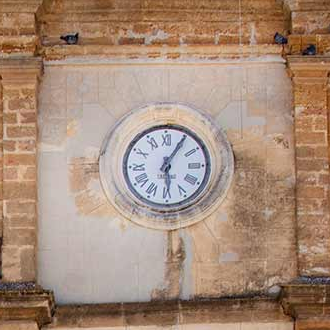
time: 6:05
